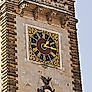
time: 1:16
